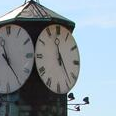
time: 11:23
